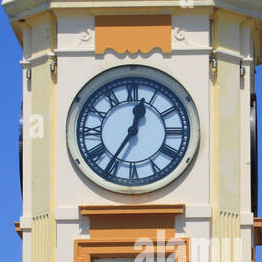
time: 12:35
